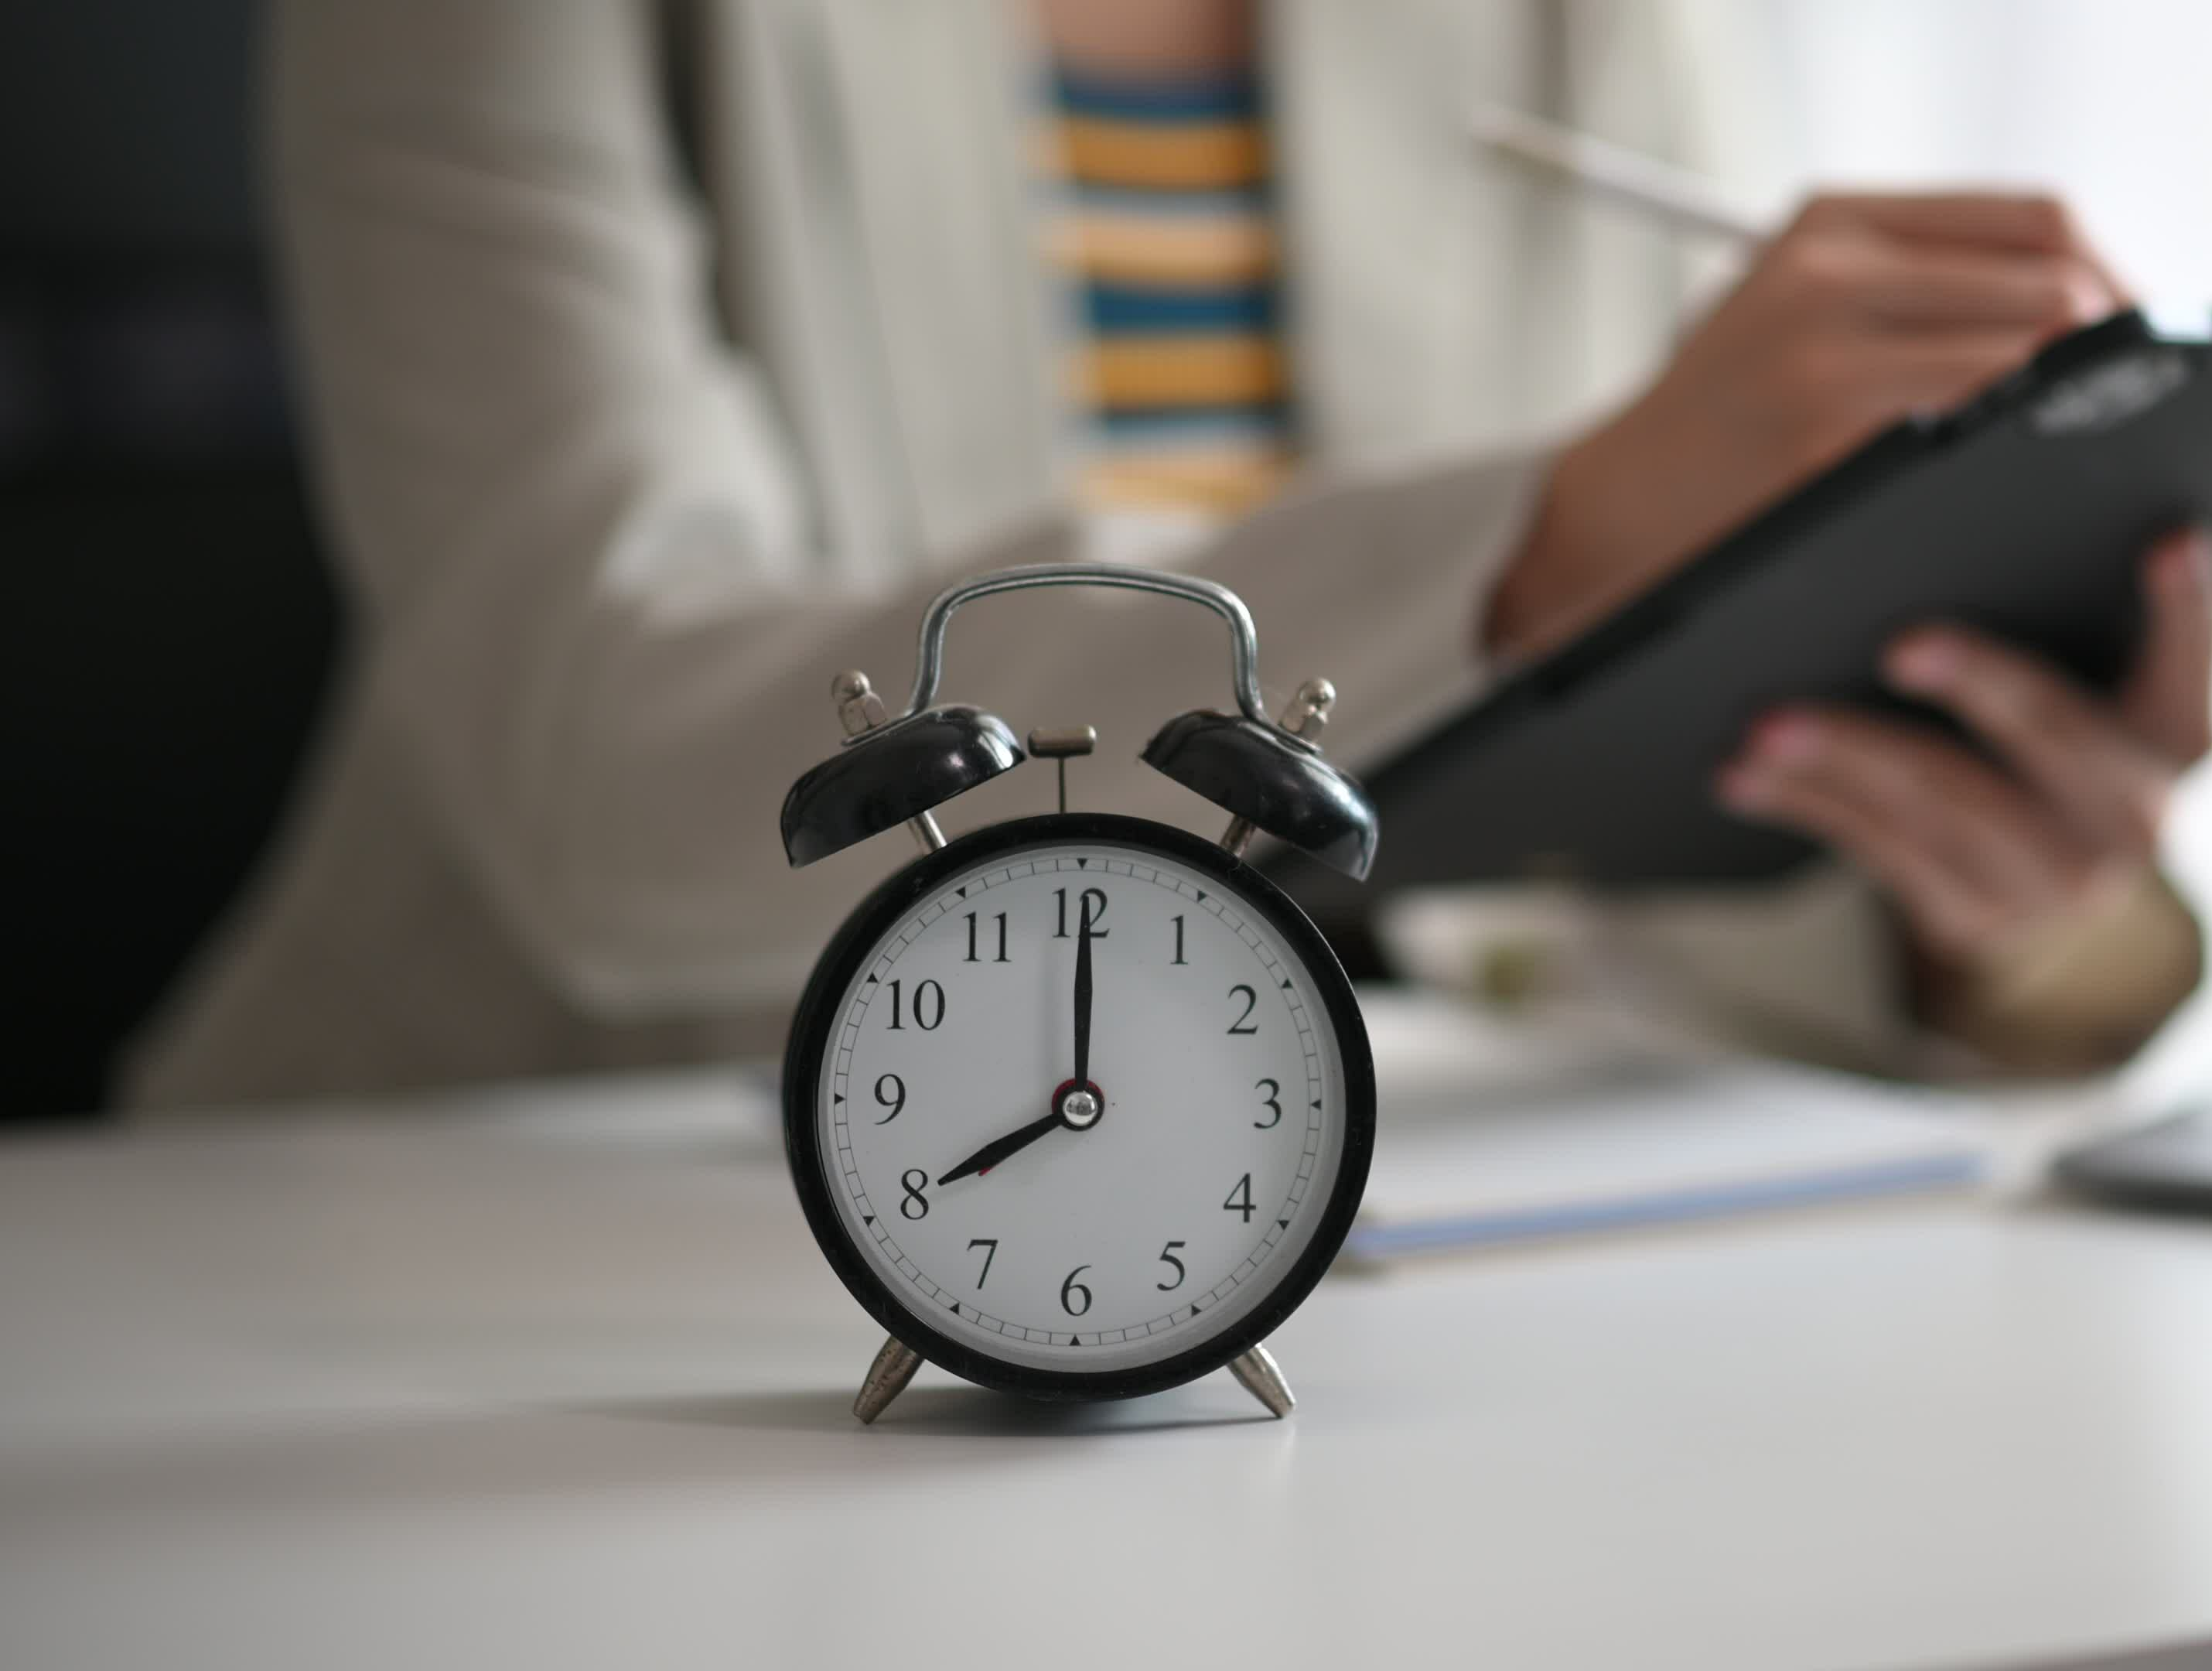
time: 8:00
